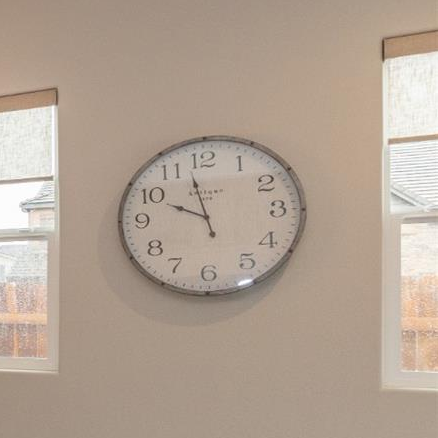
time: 9:57
